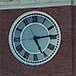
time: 5:14
